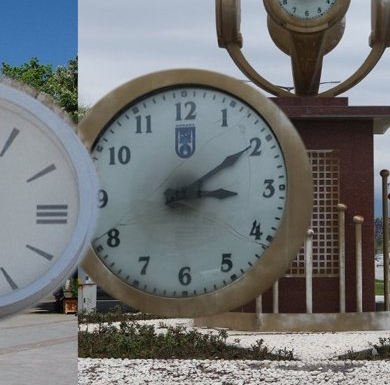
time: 3:09
